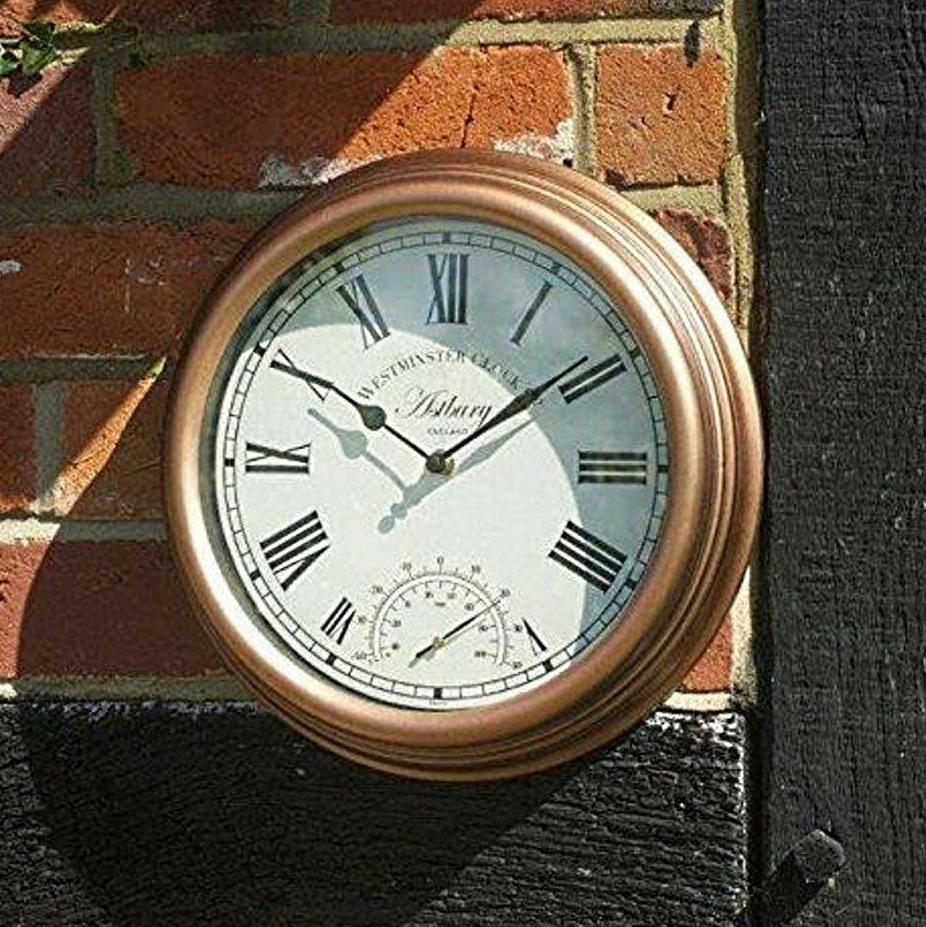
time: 1:50
